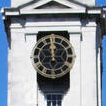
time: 11:59
